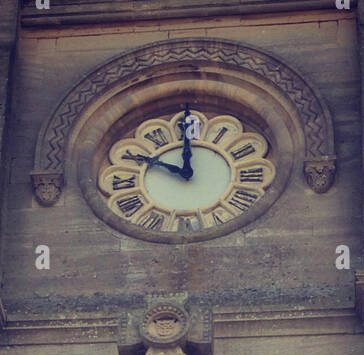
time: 11:49
